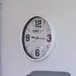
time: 9:16
